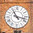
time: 11:17
